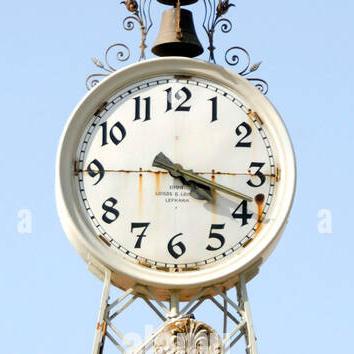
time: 4:18
